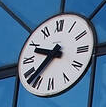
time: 9:37
